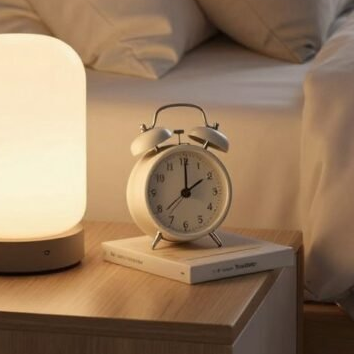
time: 2:00
